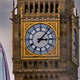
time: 3:06
